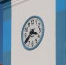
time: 3:39
